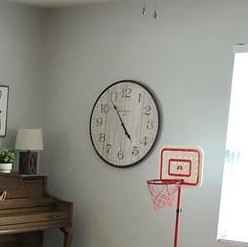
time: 4:54
